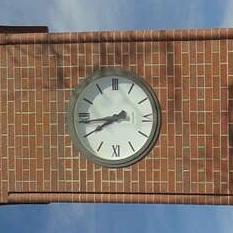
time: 7:43
